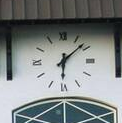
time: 6:08
